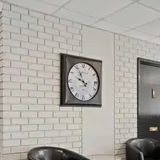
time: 9:55
